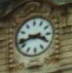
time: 3:42
